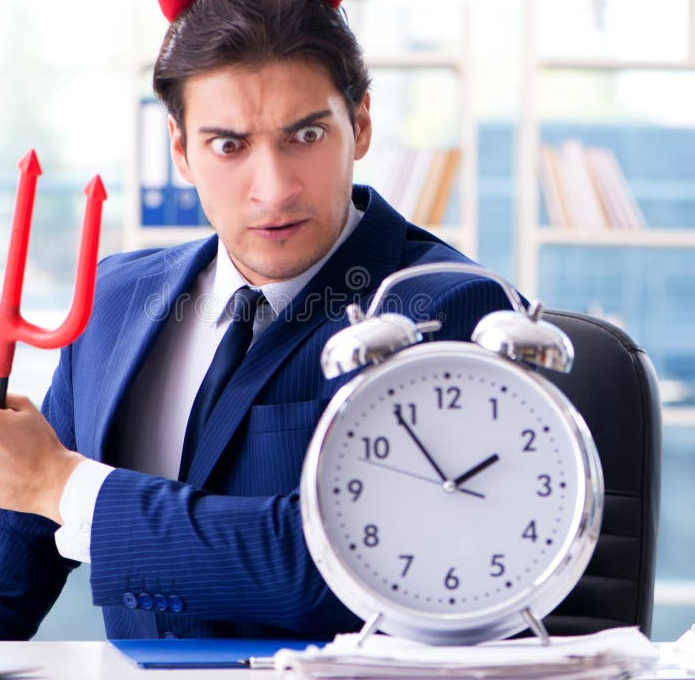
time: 1:54
